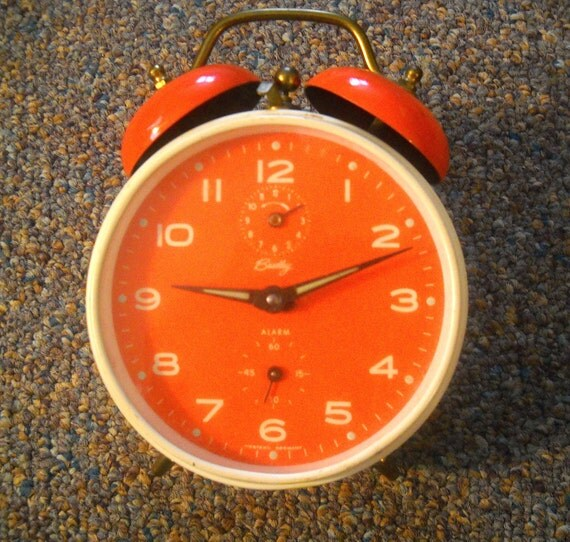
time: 9:11
